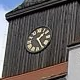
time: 1:24
